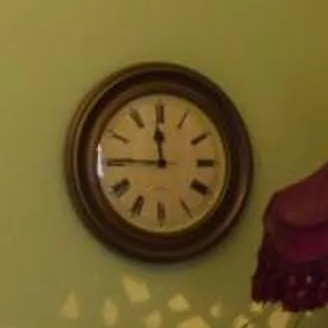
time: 11:45
